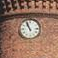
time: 10:56
